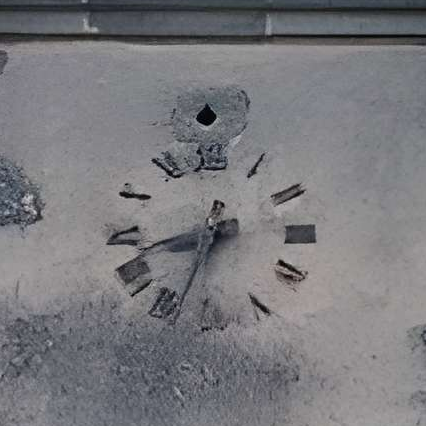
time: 8:33
